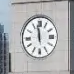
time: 11:58
